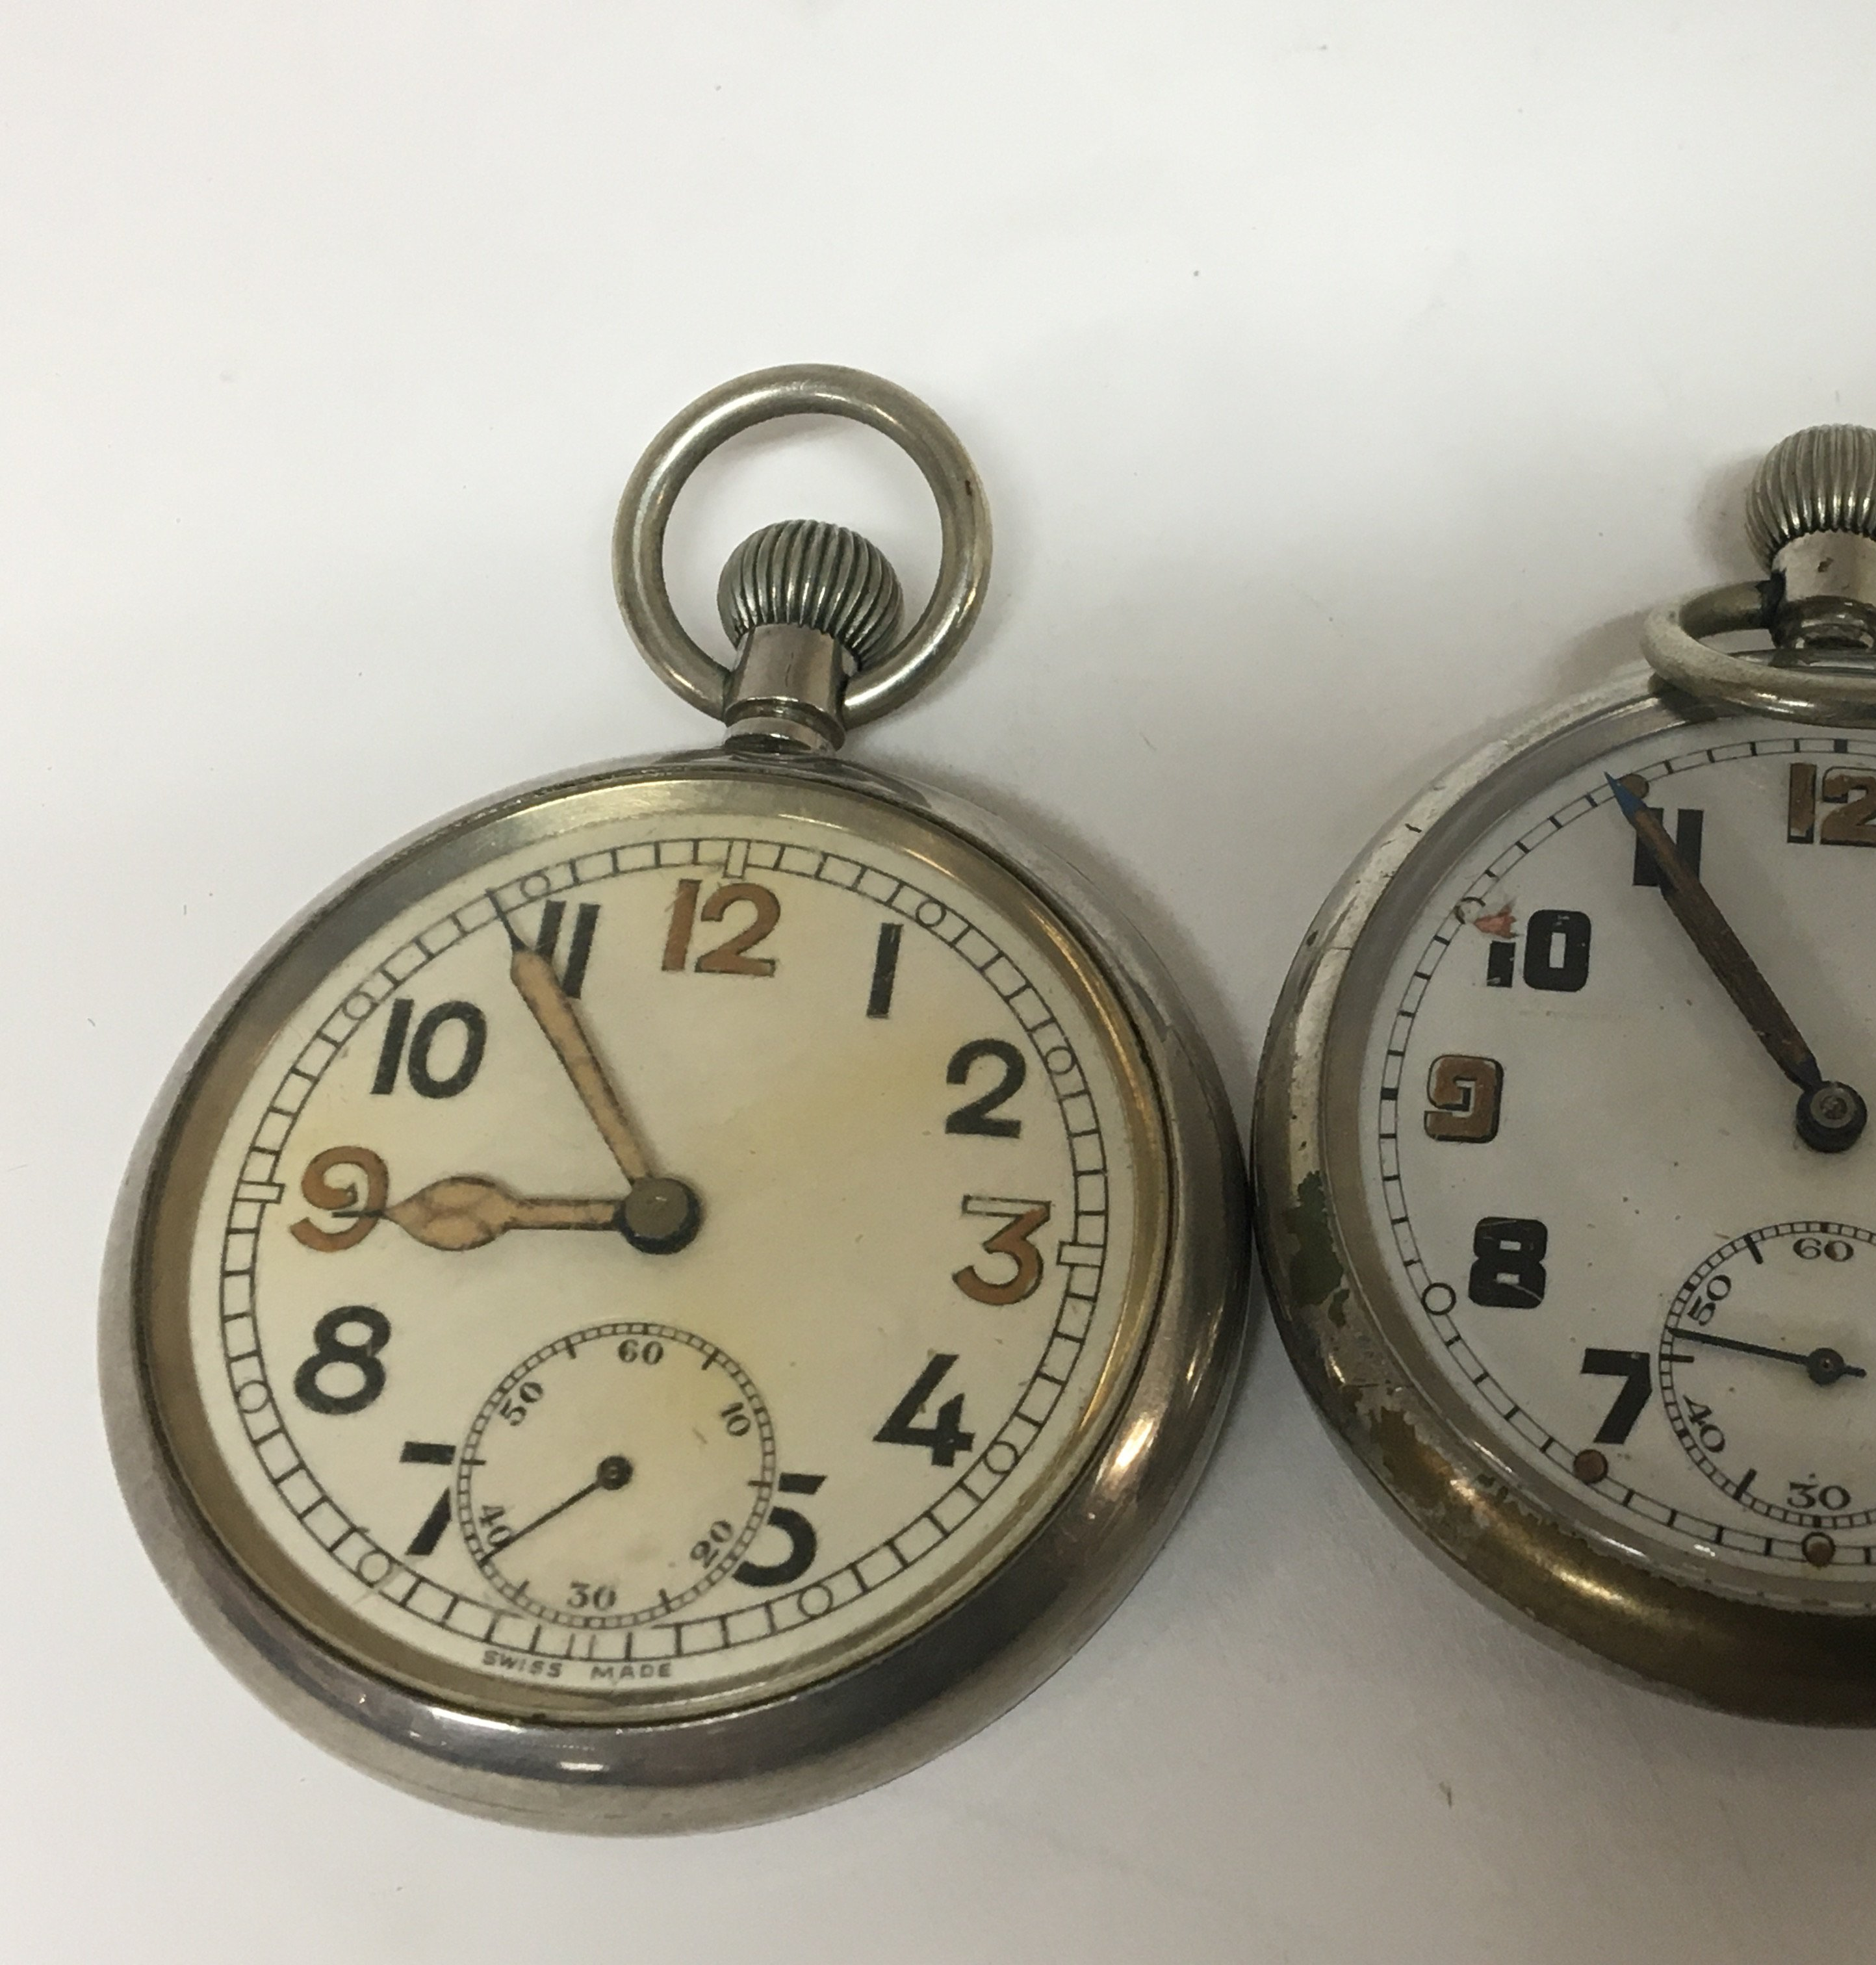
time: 8:54
